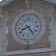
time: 8:23
